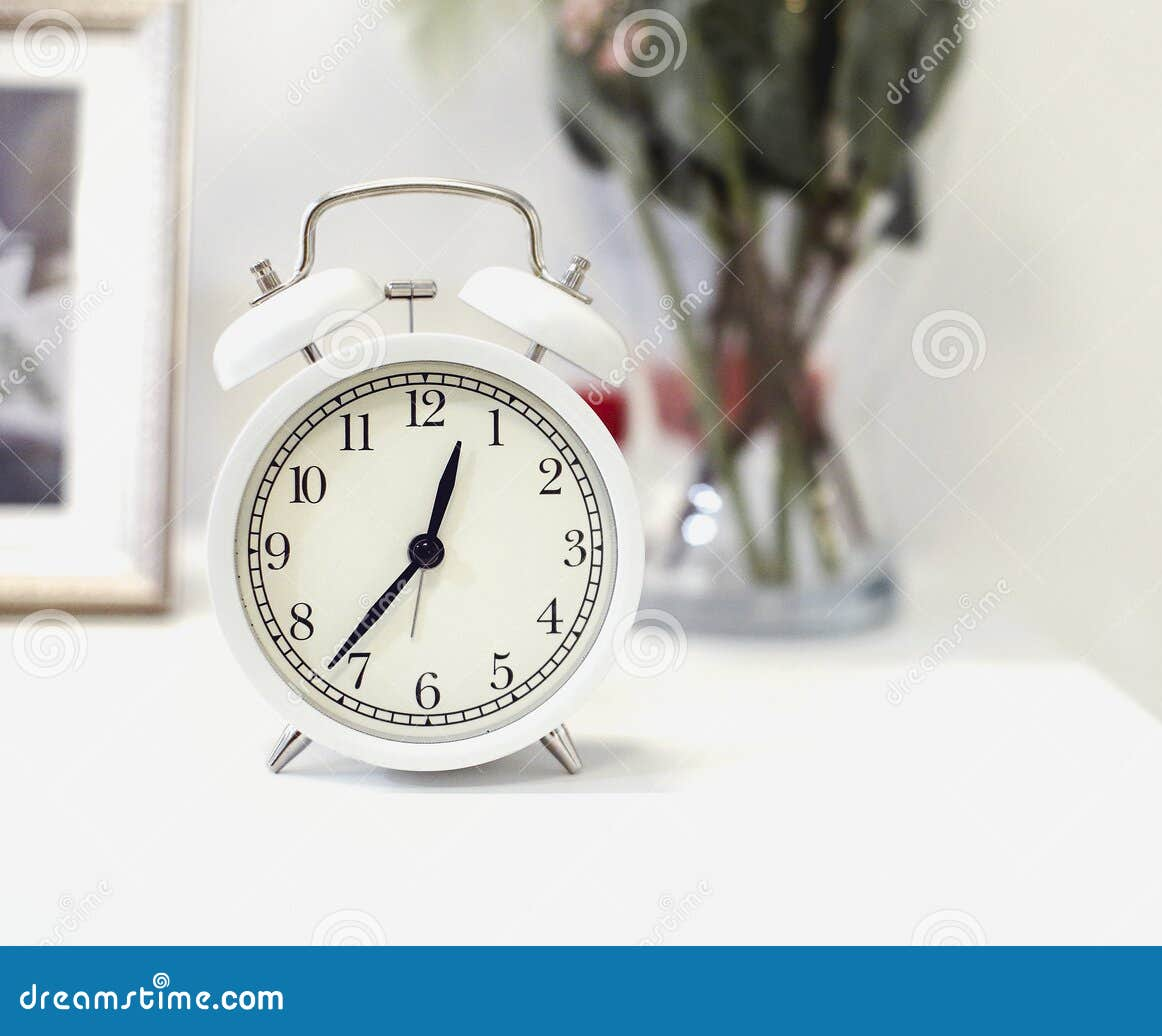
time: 12:36
